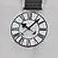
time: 10:07
